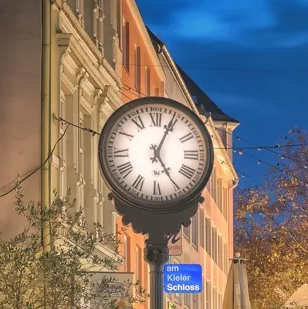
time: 5:04
